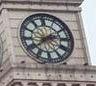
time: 2:38
